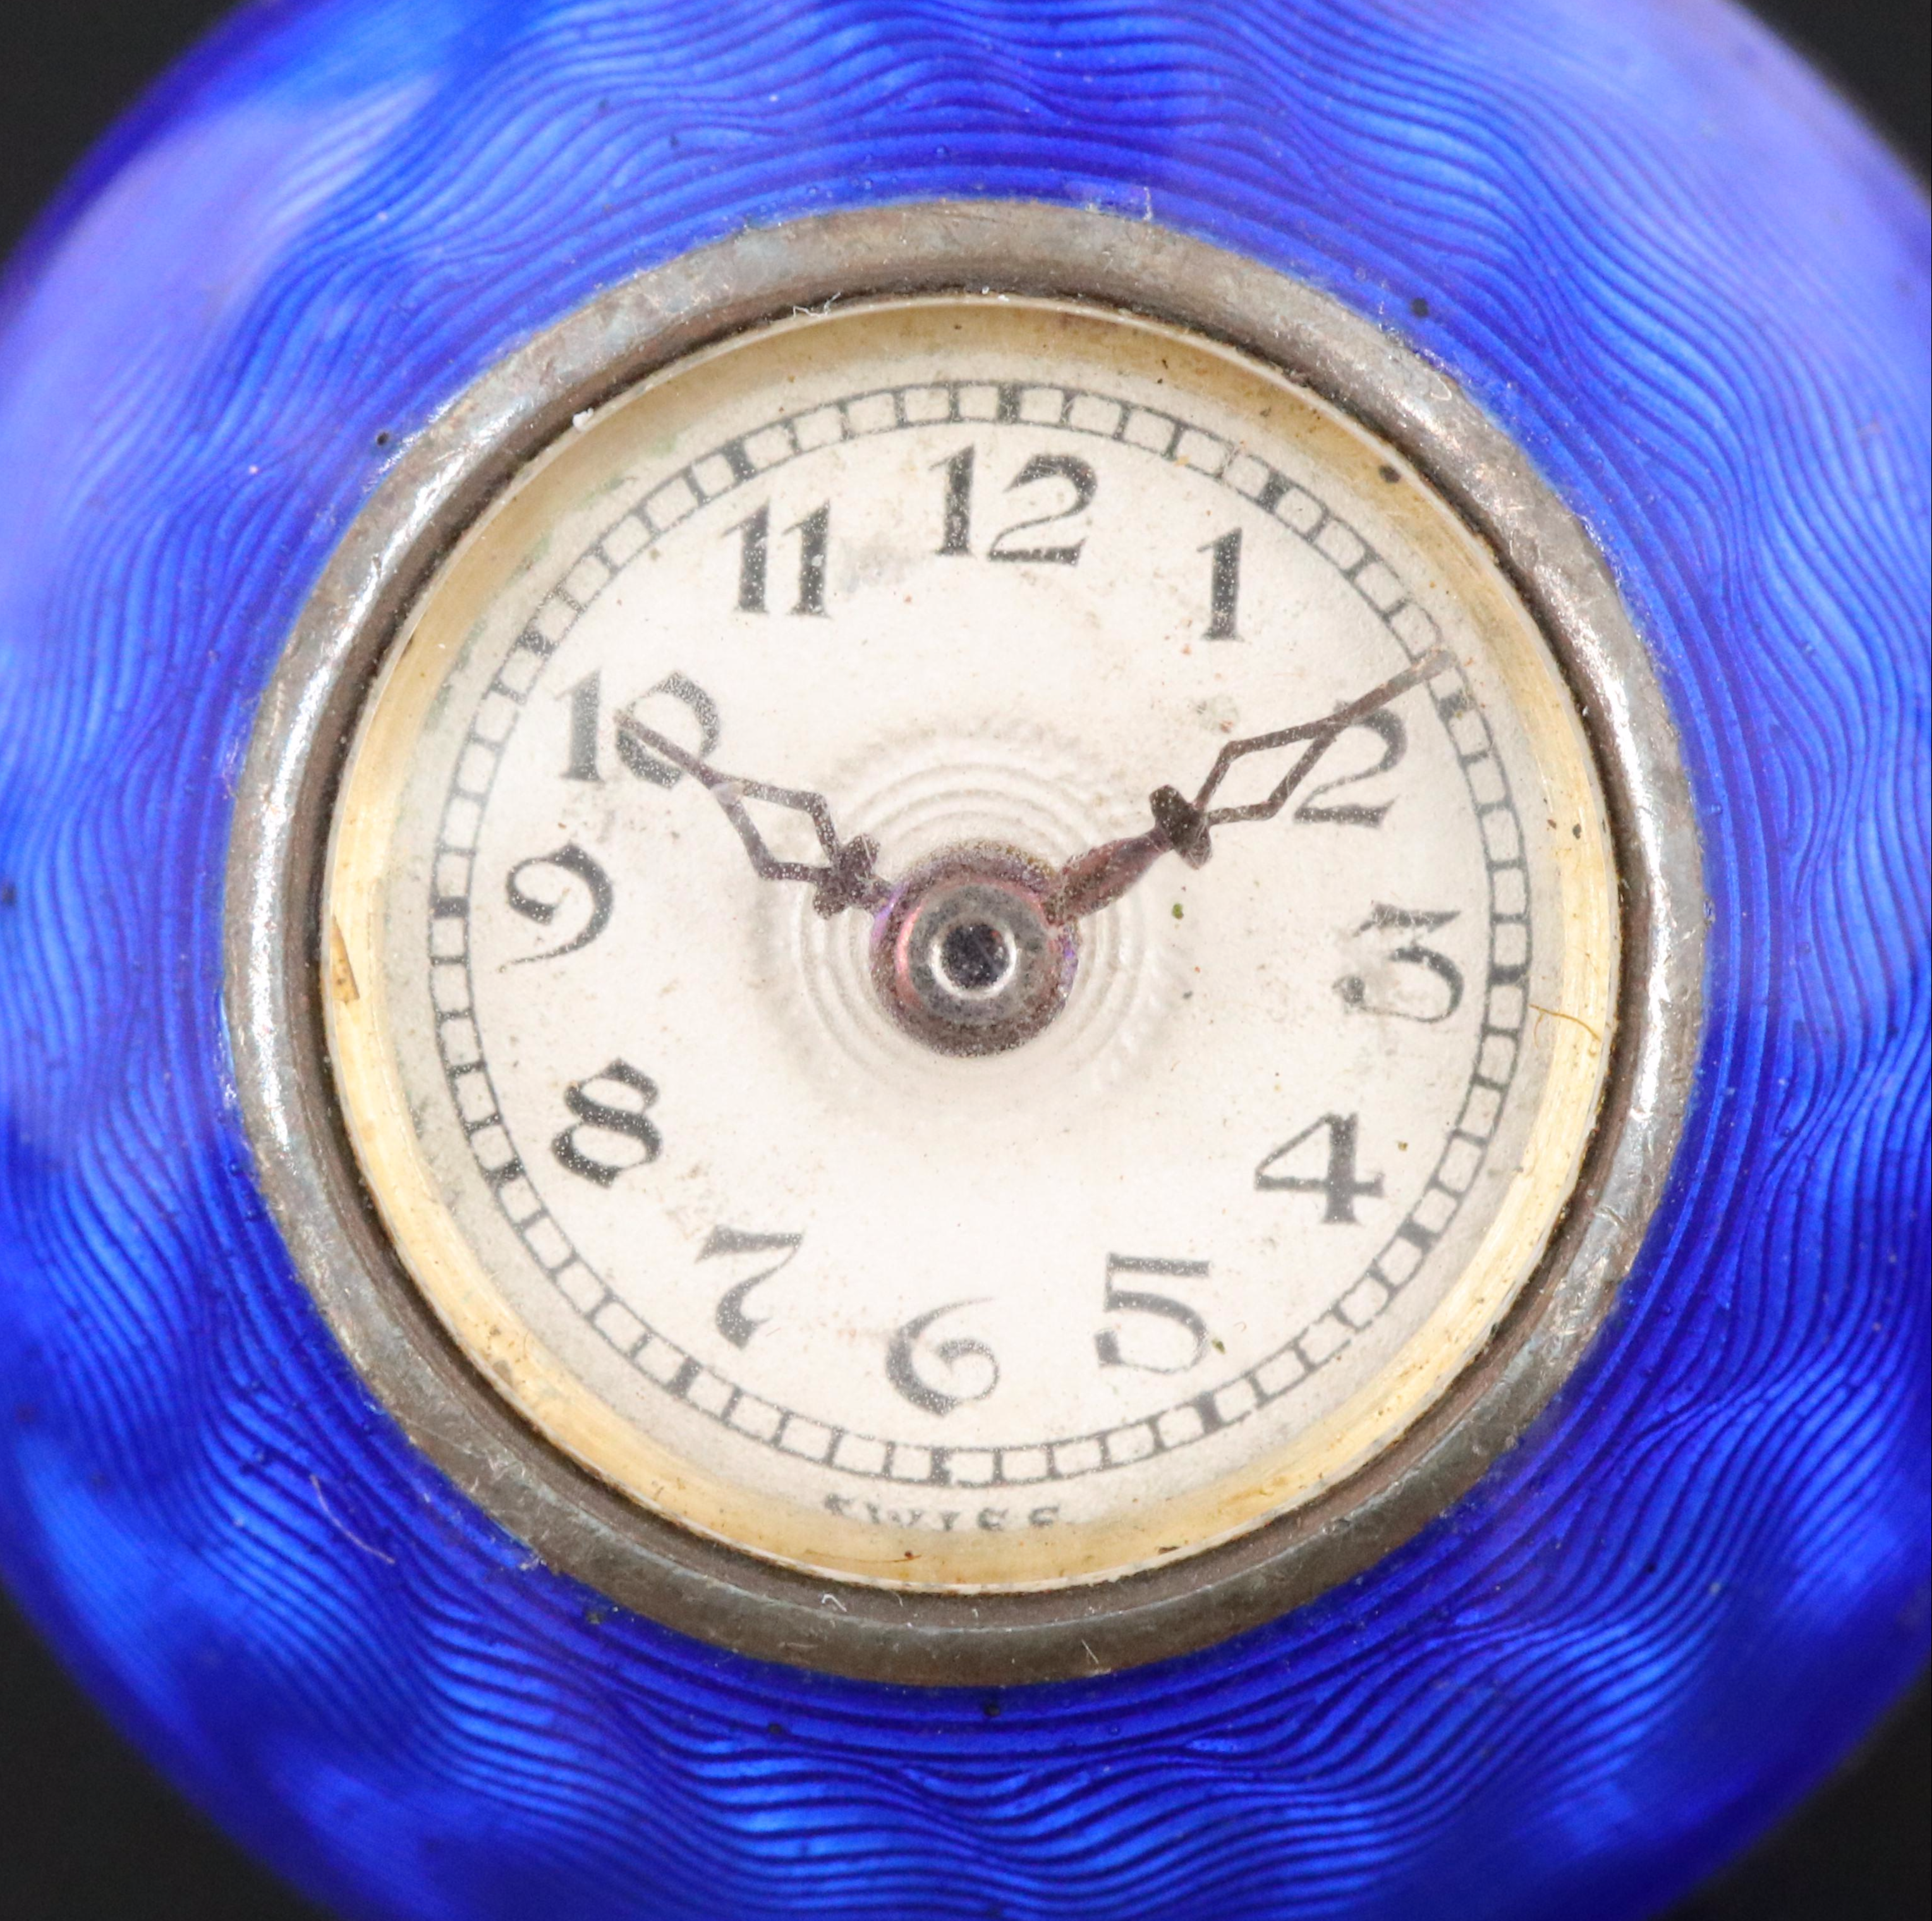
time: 1:50
